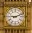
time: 9:11
